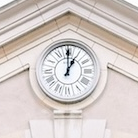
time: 1:00
